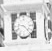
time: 9:22
